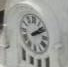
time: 2:08
